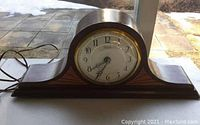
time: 7:34
